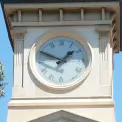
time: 1:49
